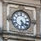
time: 5:21
